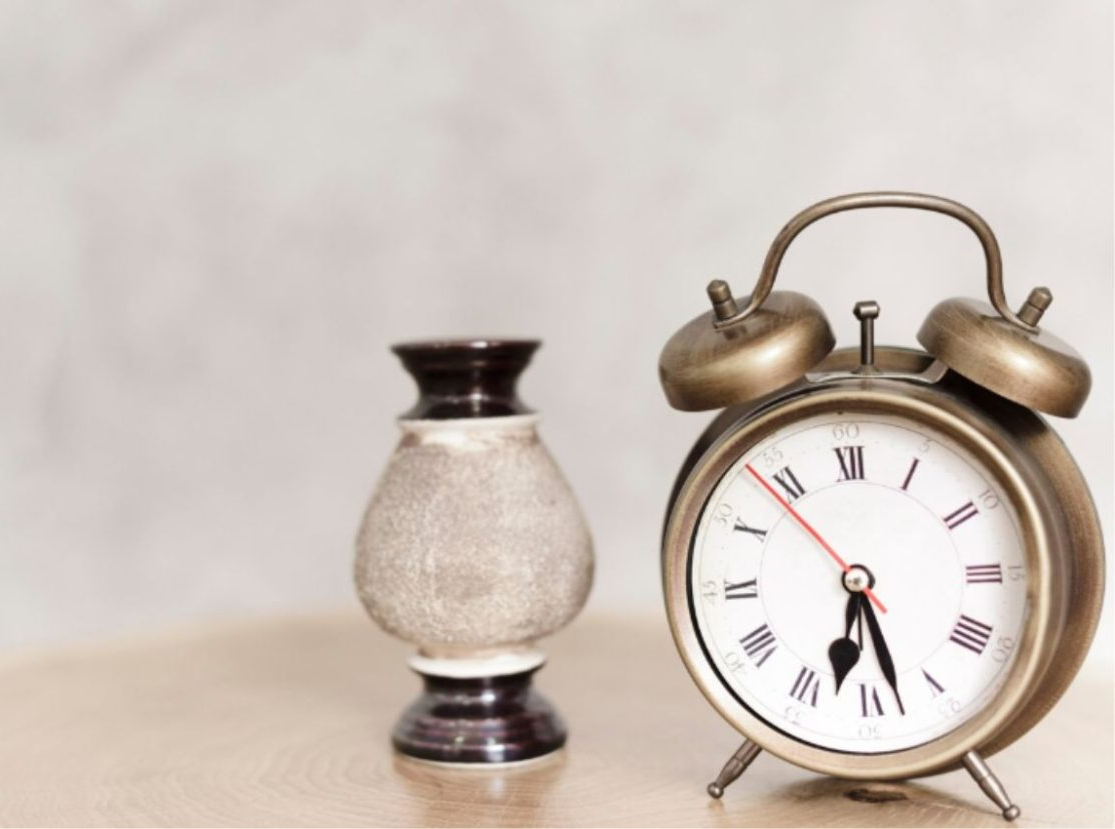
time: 6:27
